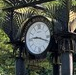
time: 9:18
